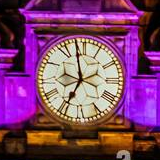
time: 6:58
